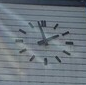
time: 1:58
